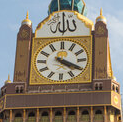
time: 4:19
